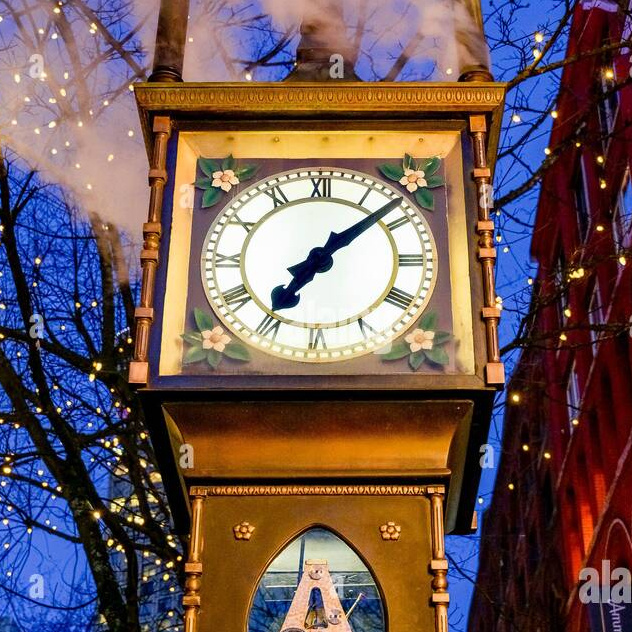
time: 7:08
